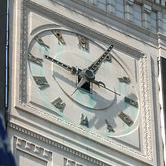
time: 12:47
